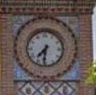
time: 7:31
